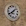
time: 1:39
